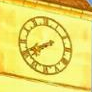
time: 7:40
